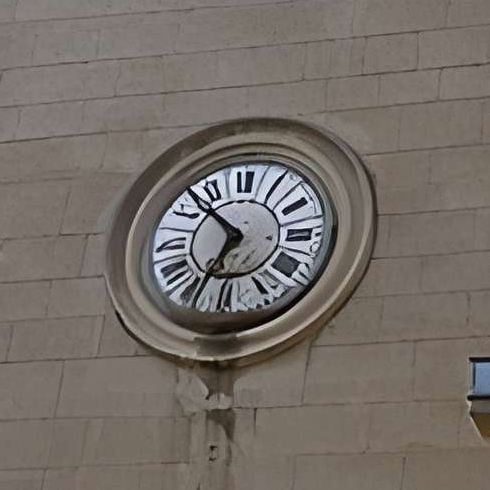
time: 6:52
